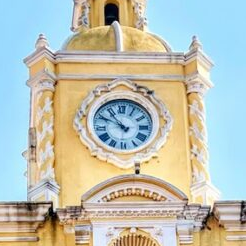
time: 10:50
